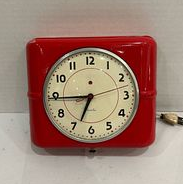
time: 6:44
